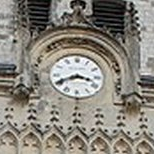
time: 3:40
